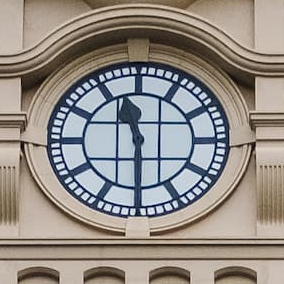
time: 11:29
